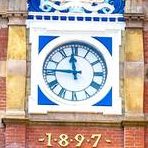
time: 11:45
